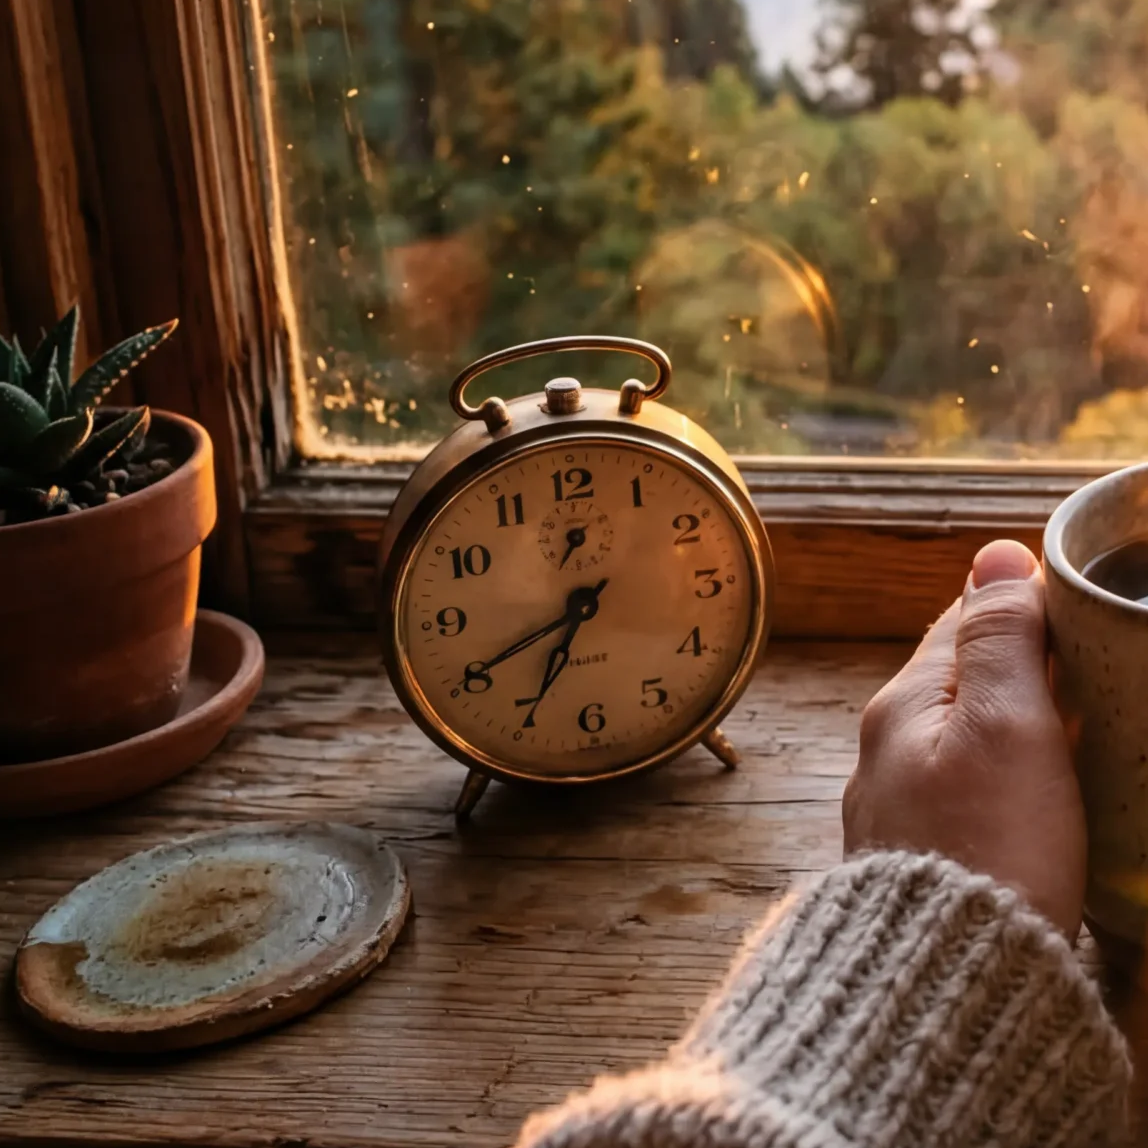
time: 6:40
